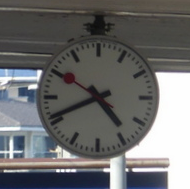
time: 4:40
